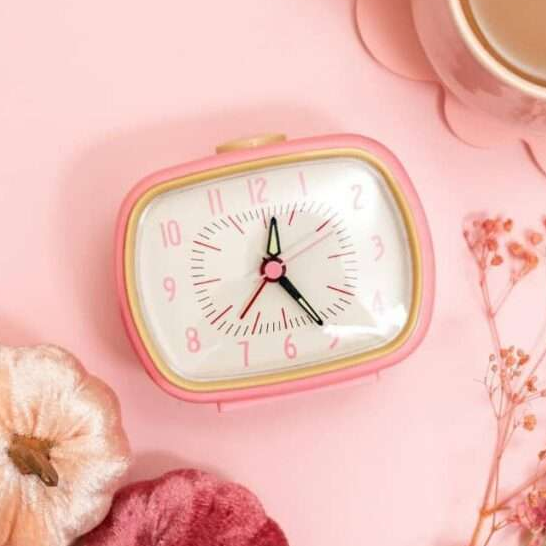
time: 12:25
